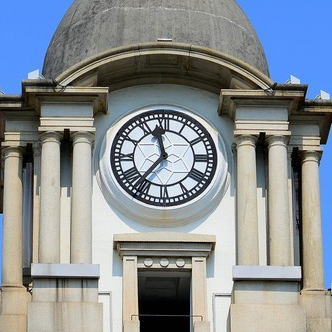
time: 11:36
